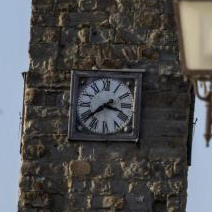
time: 3:39
